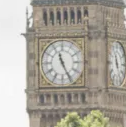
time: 11:25
